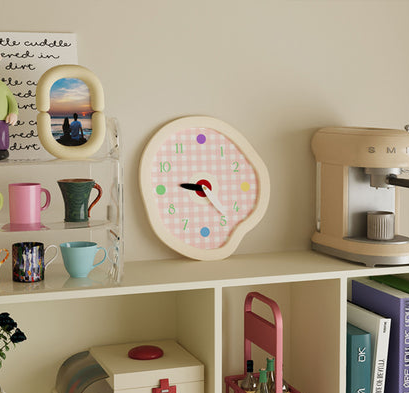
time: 9:23
